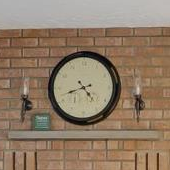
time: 4:42
